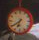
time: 6:39
